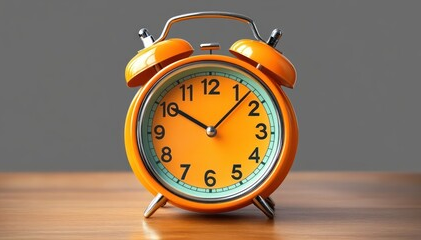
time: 10:07
